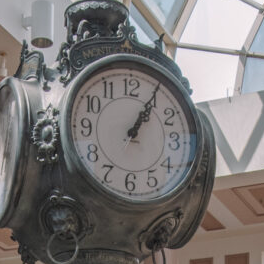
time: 1:05
